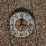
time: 12:16
